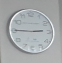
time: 2:45
